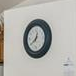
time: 12:38
